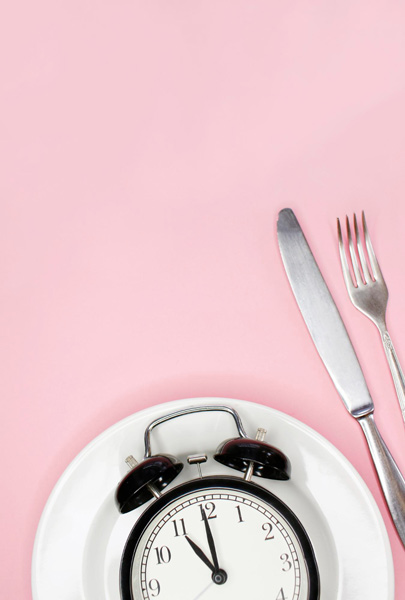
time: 10:59
